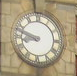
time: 8:47
